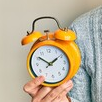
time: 1:50
